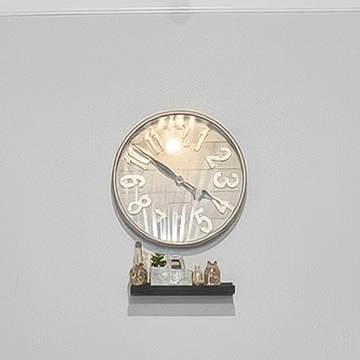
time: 3:51
